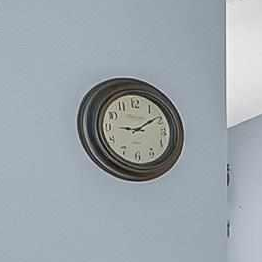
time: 9:09
